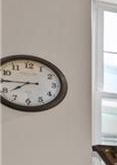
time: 7:45
